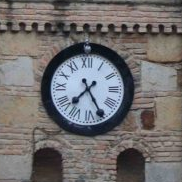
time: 7:25
